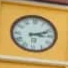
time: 3:11
